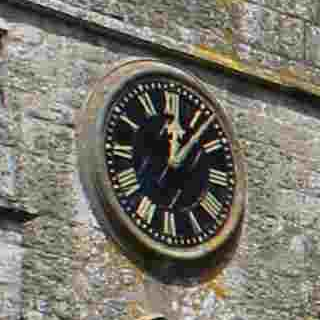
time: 12:06
